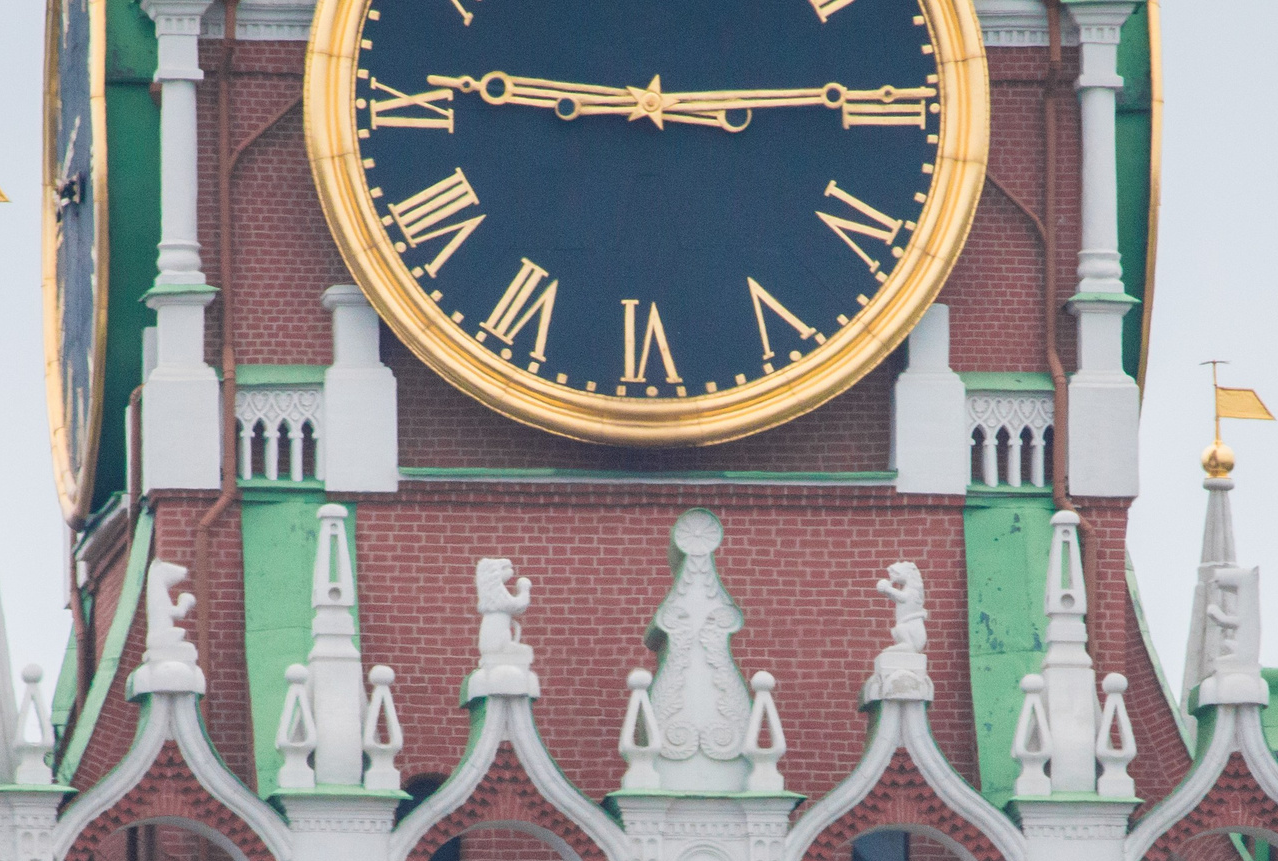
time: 9:14
